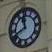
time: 11:40
